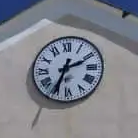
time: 2:34
